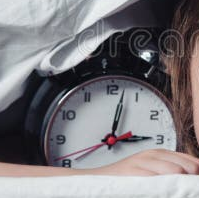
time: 3:02
